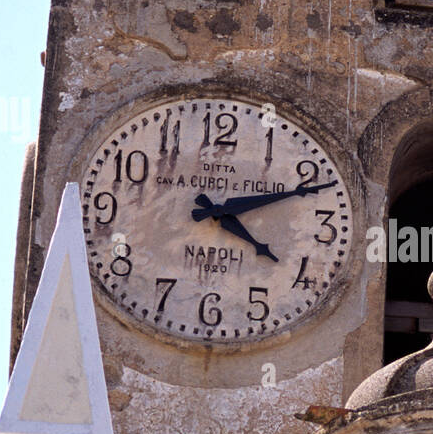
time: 4:11
